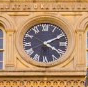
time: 4:10
